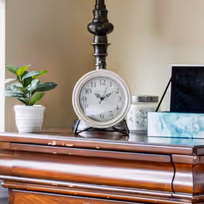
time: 10:09
